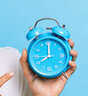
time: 8:00
